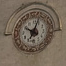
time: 10:02
